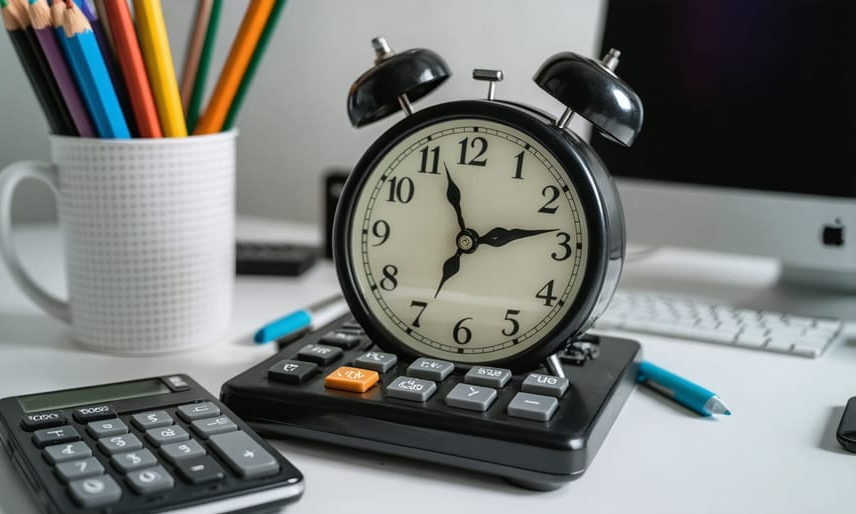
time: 11:13
